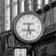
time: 5:32
